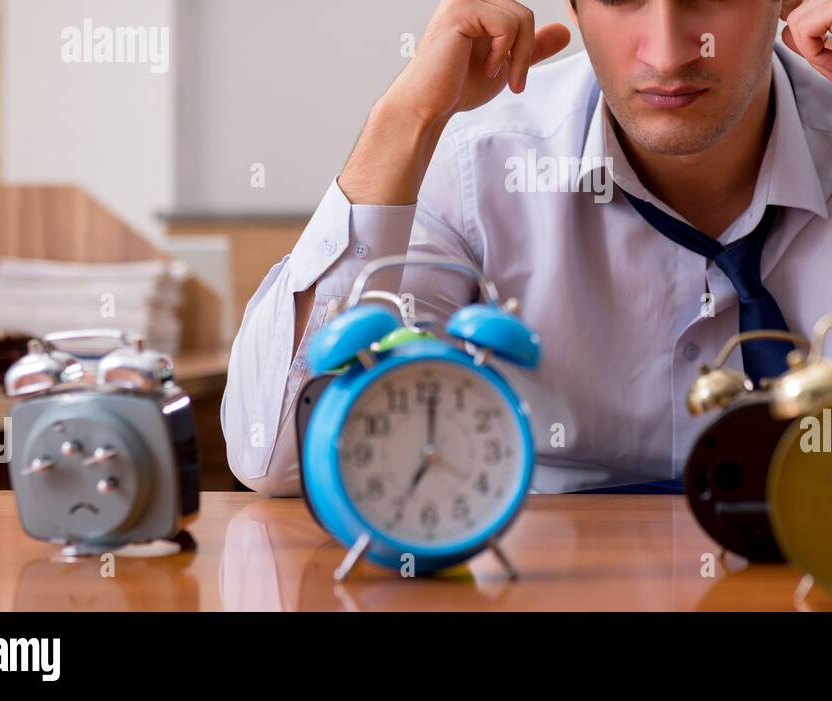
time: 7:00
